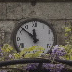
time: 11:52
